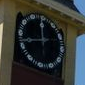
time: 11:42
